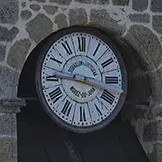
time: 3:45
